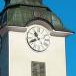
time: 10:41
